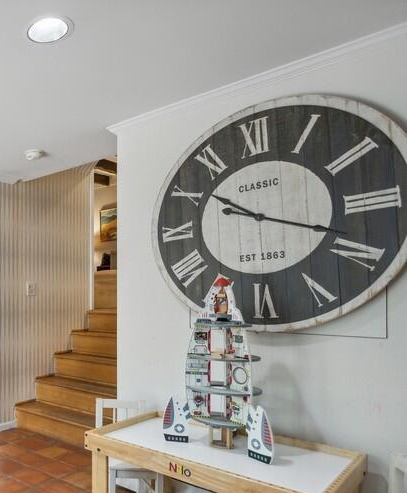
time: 10:18
